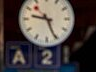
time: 9:26
